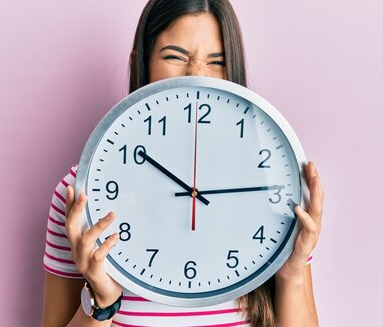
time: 10:13
